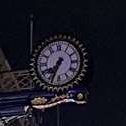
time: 7:33
